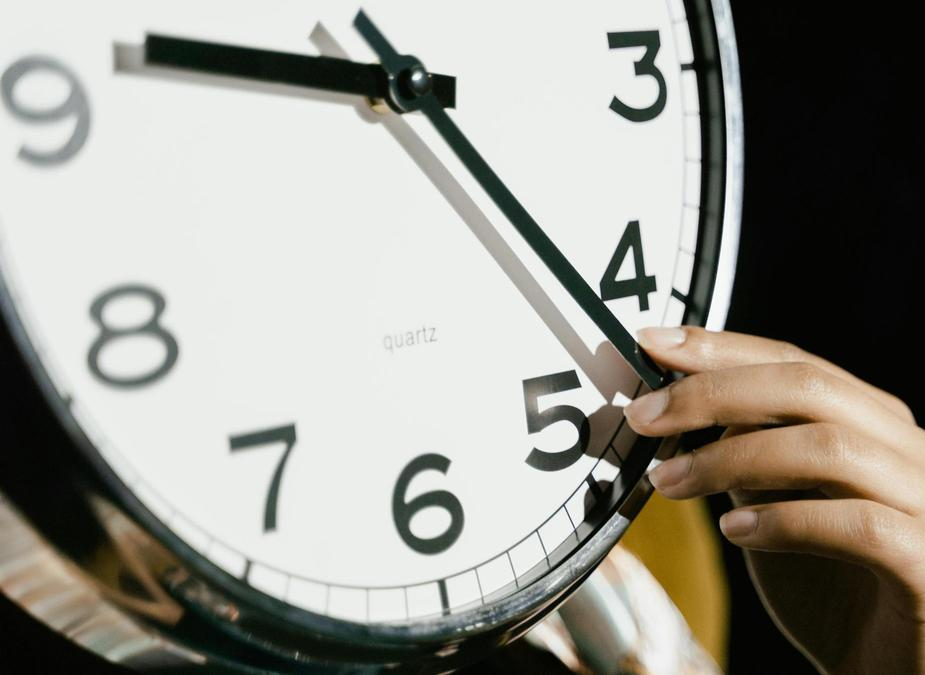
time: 9:22
